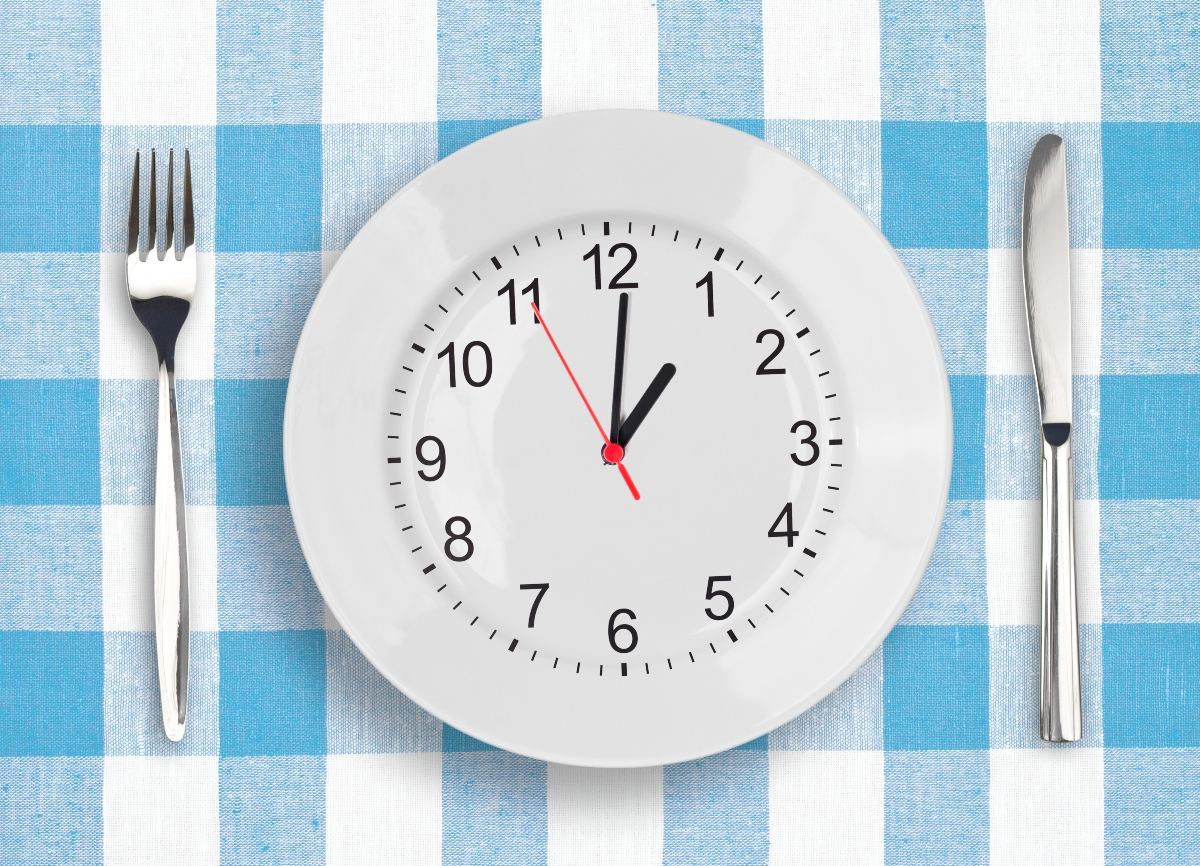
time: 1:00
